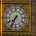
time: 7:34
